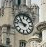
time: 10:47
